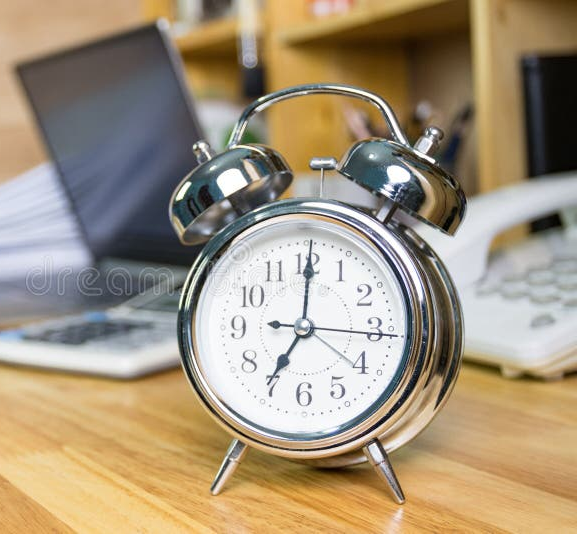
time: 7:00
